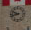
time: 9:42
